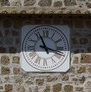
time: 11:17
